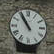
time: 10:55
